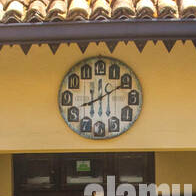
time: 12:10
